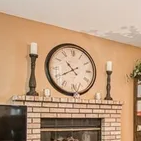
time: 10:40
